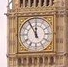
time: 11:55
